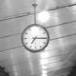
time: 7:15
